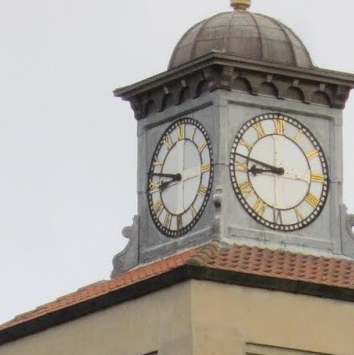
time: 8:47
